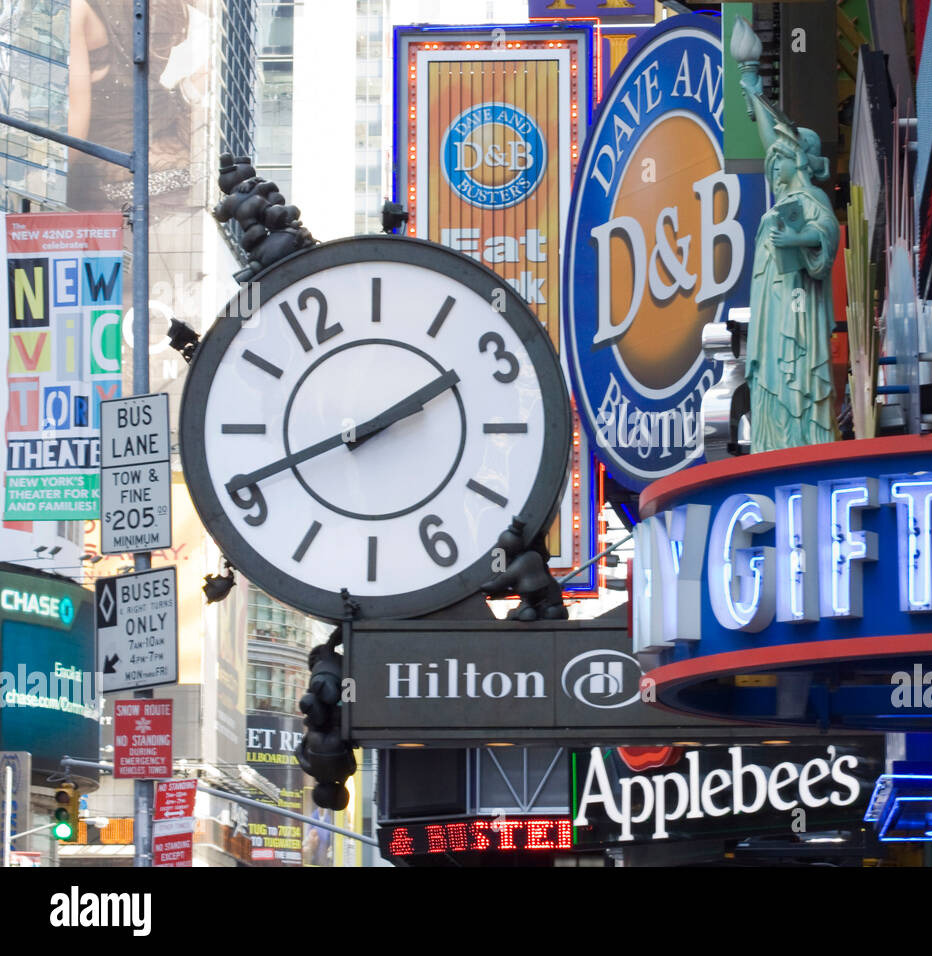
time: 1:41
